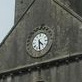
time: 4:29
